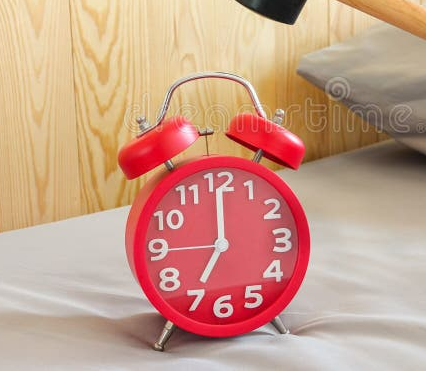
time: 7:00
